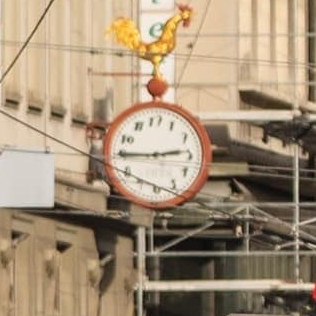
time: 2:45
